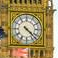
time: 4:22
